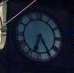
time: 6:25
